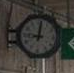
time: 9:01
